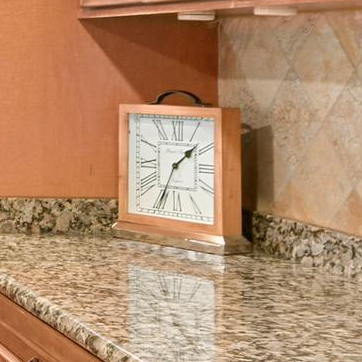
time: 1:34
